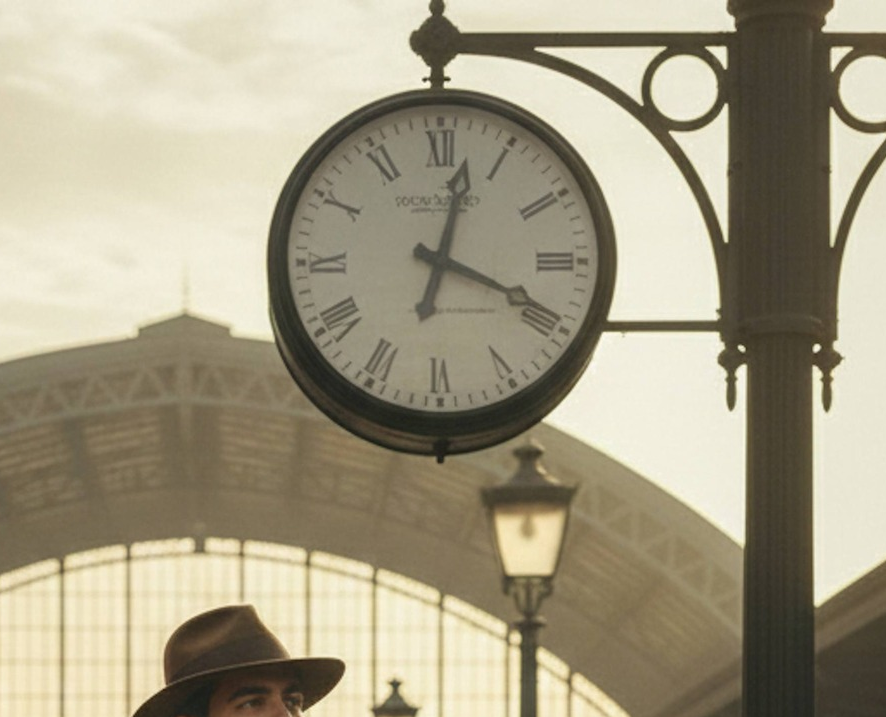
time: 12:19
